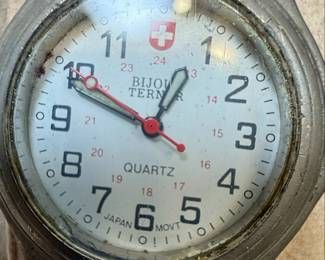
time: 12:49
